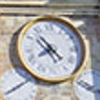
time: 7:53
